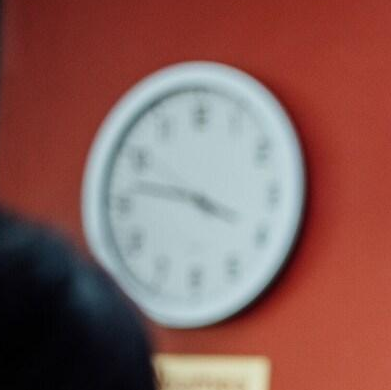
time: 3:46
